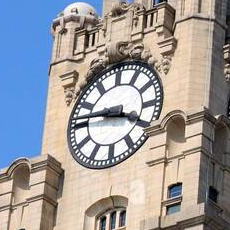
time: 3:46
